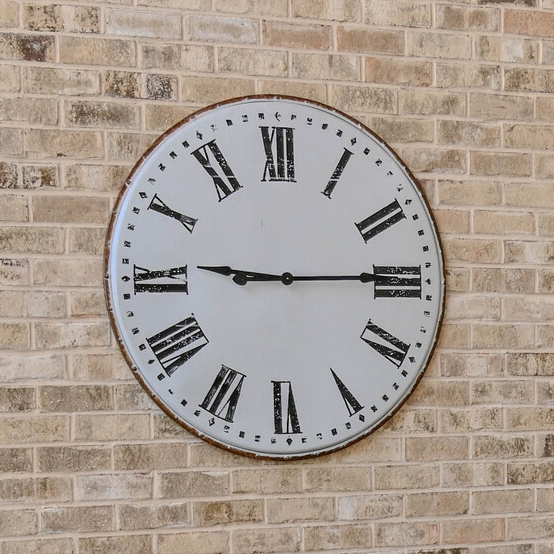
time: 9:14
